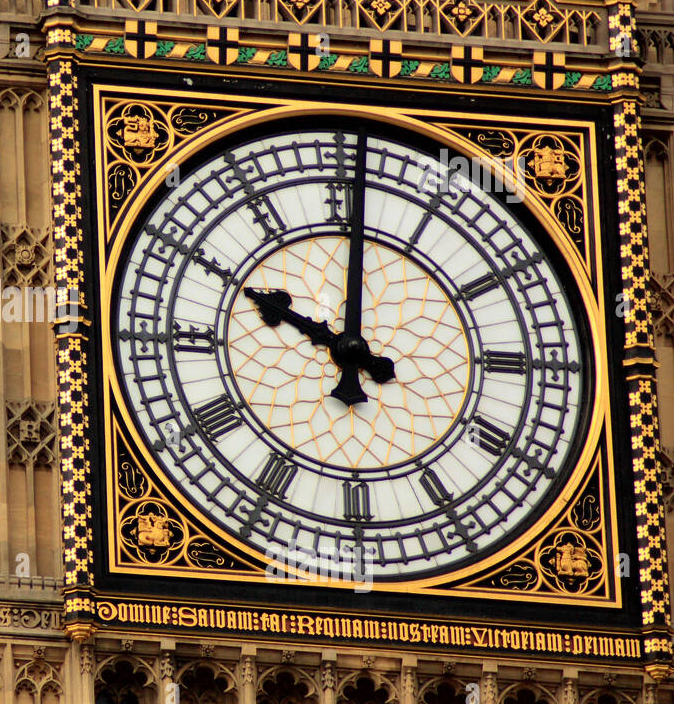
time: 10:00
